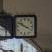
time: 3:50
